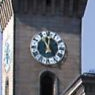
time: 11:02
